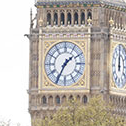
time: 1:34
